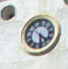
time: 4:29
